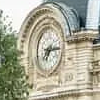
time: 7:15
